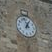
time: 12:57
